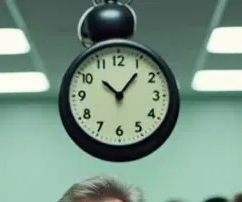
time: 10:06
